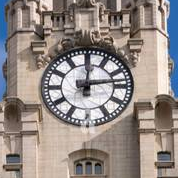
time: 12:13
